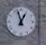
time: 12:57
